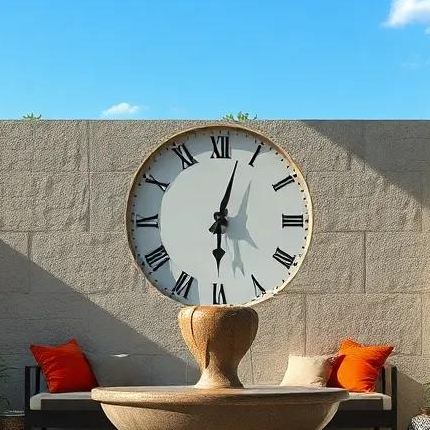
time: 6:02
